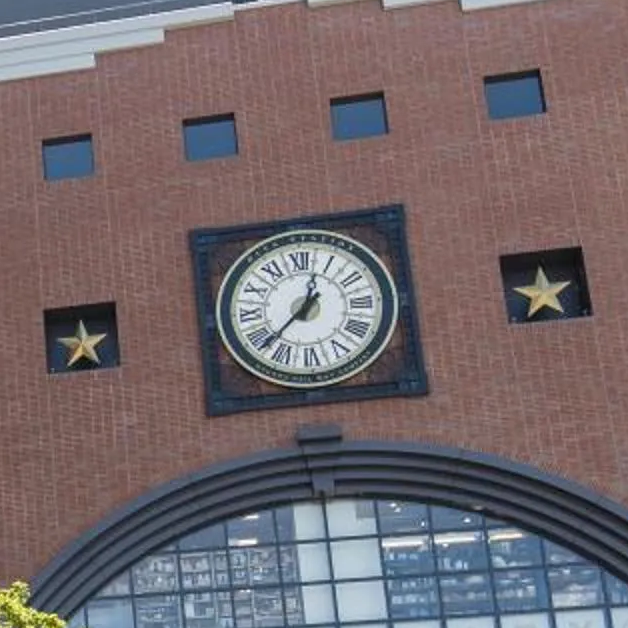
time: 12:37
